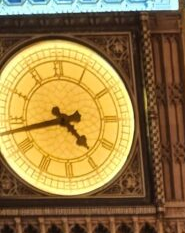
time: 4:42
